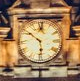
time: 5:50
